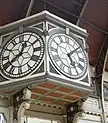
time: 5:07
